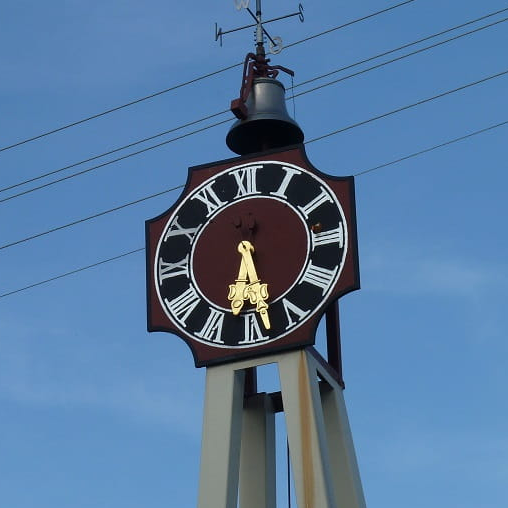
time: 6:28
